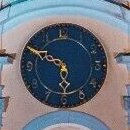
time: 5:49
